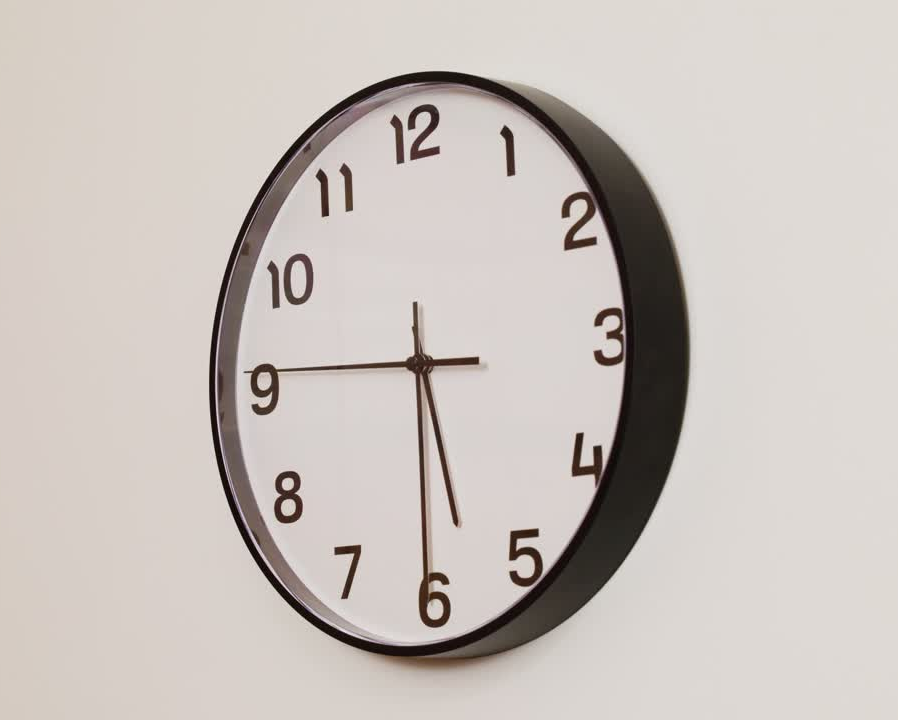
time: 5:30
